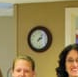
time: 2:06
